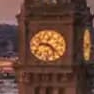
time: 9:22
